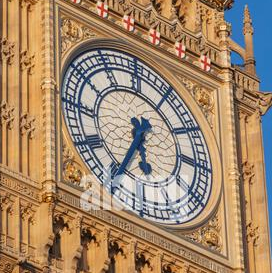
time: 5:34
